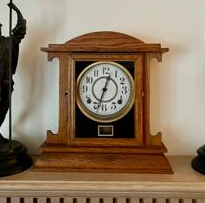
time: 12:32
